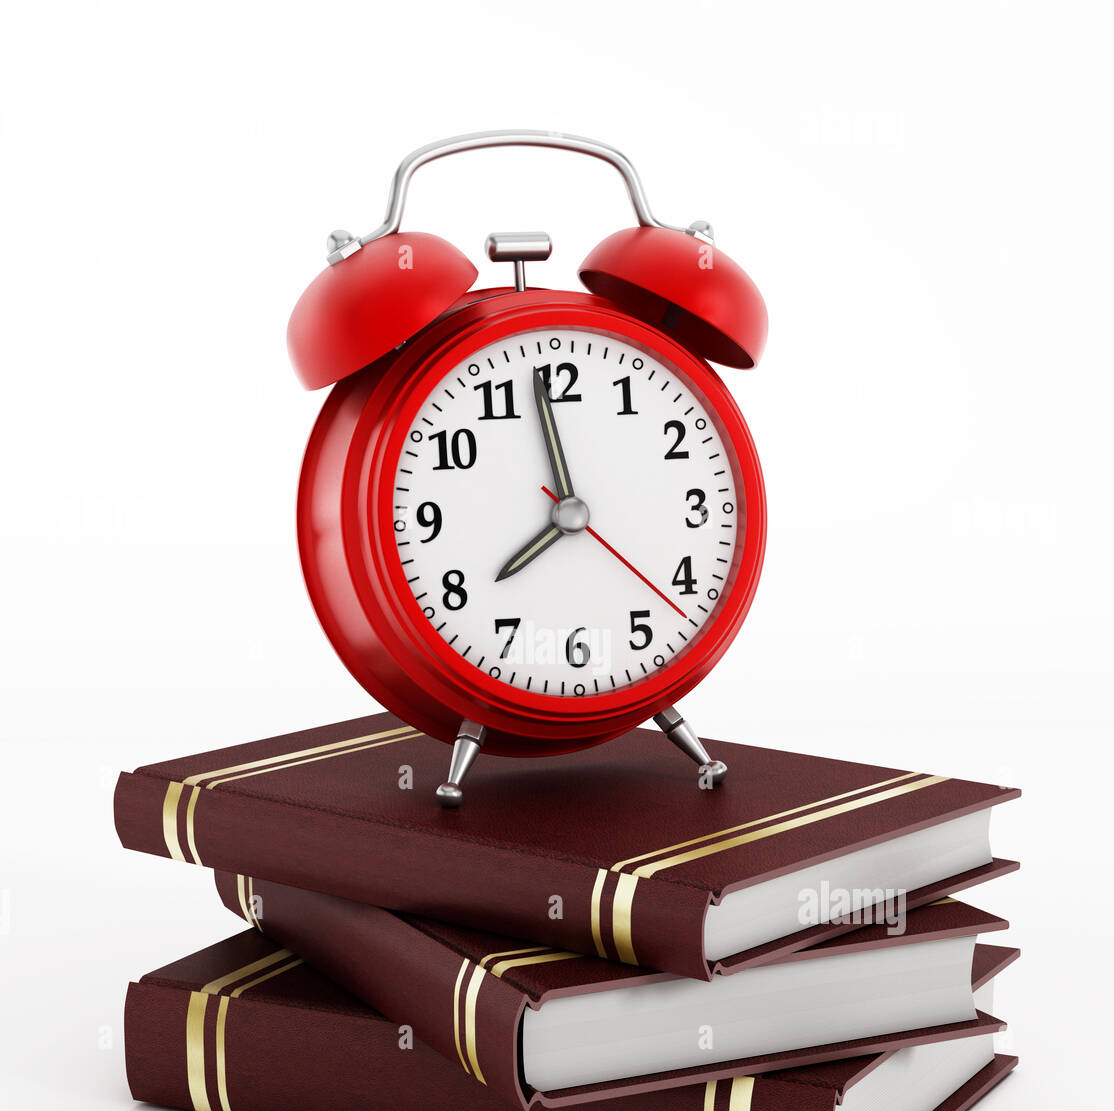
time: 7:58
